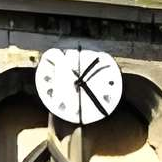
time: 1:23
